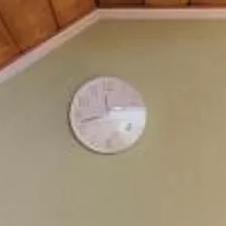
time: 11:42
